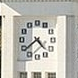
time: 4:38
